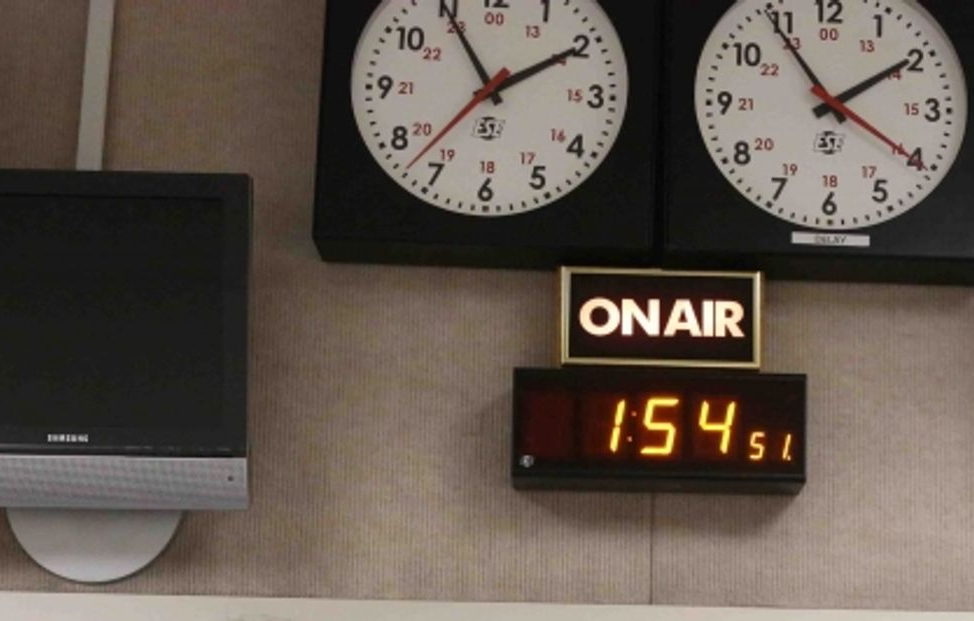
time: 1:54
